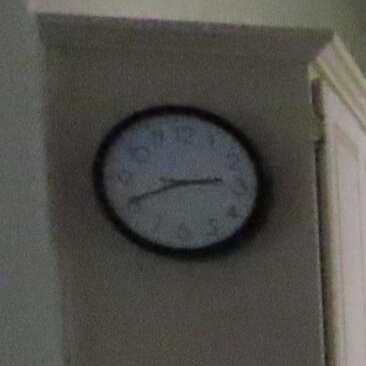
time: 2:40
